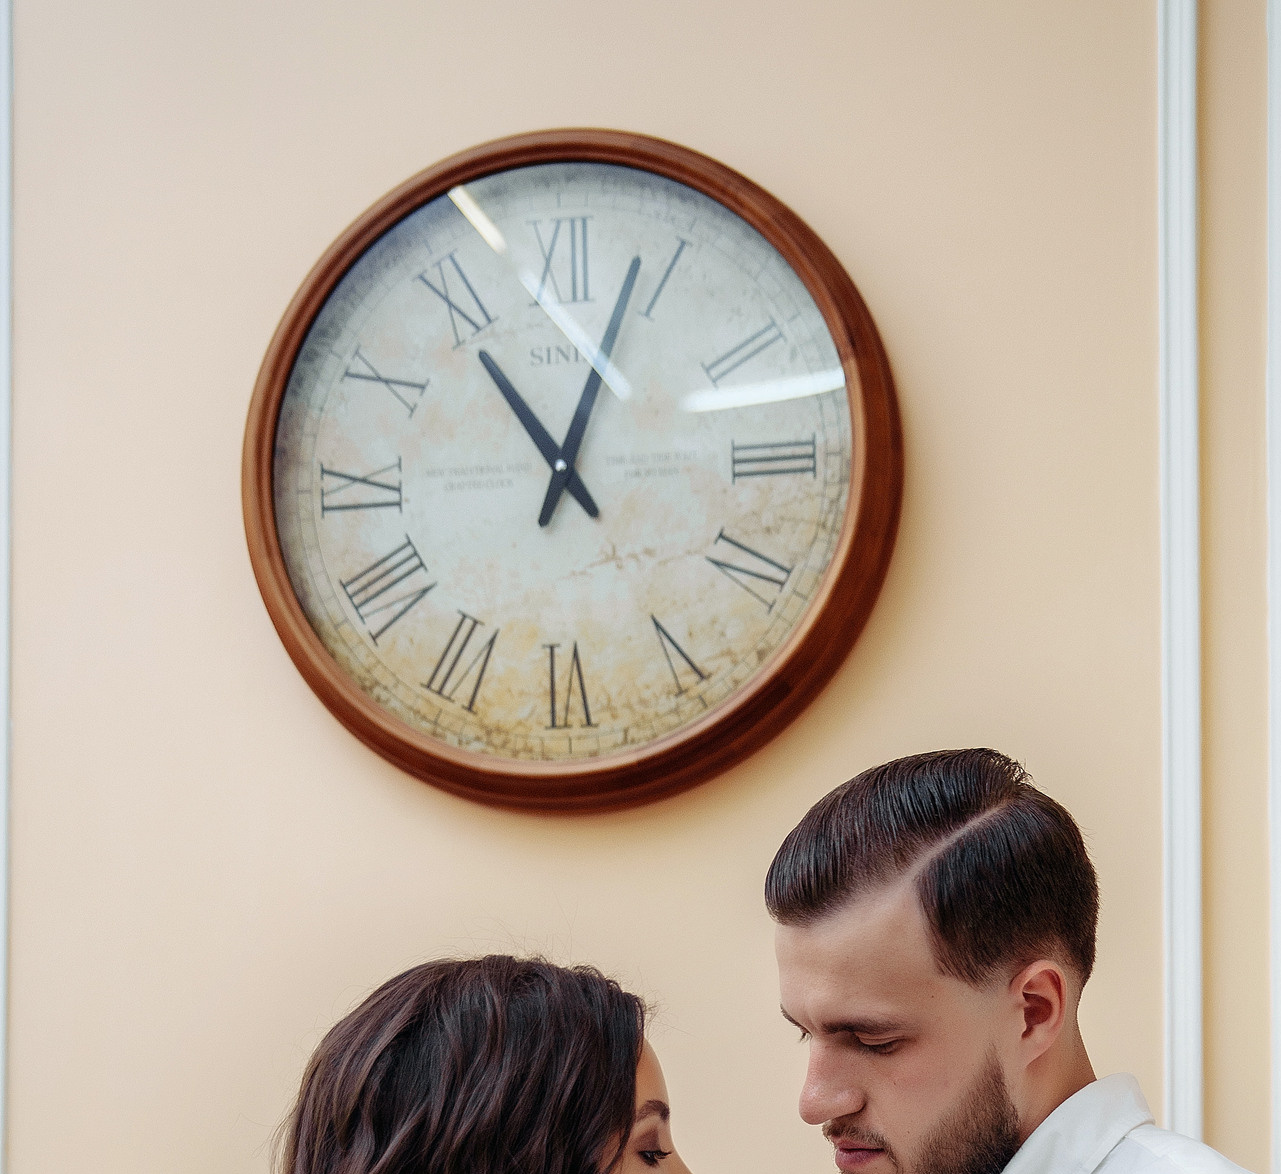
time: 11:03
